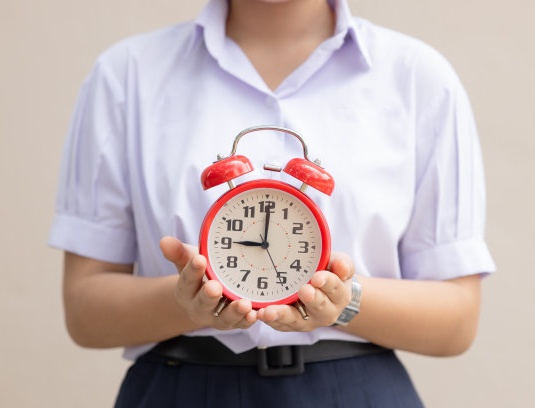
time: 9:00
